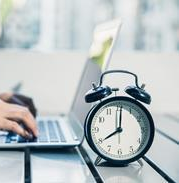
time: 8:00
